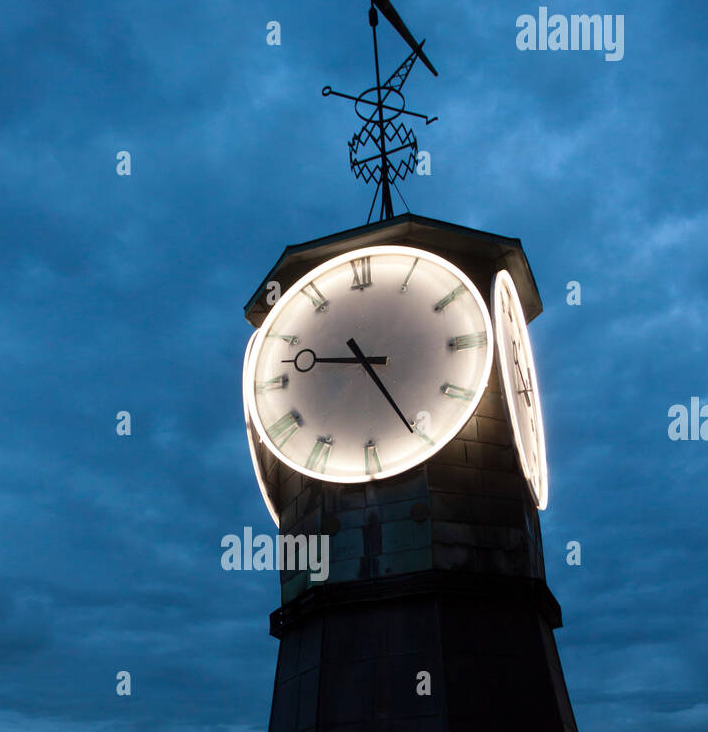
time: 9:25
